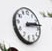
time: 2:12
